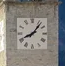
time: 8:06
